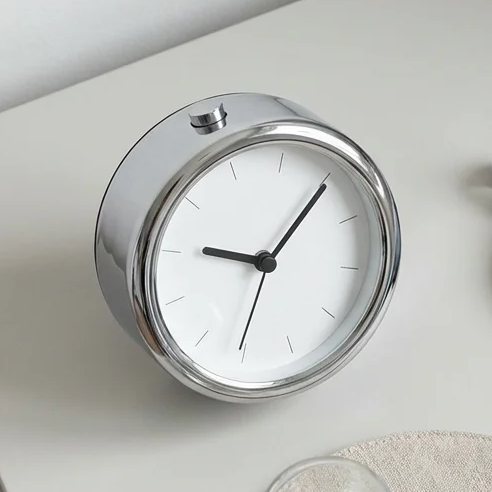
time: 9:05
